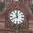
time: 11:40
